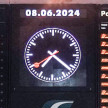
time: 7:21
